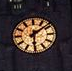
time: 6:08
